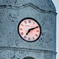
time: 7:11
